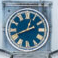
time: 12:40
